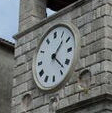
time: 1:22
